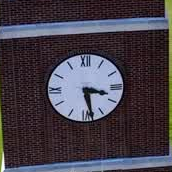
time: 3:28
